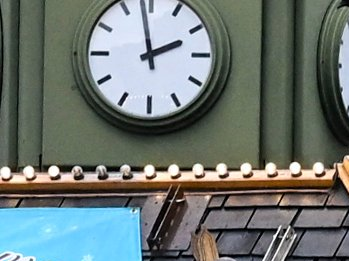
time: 1:58
